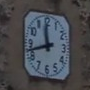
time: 11:42
